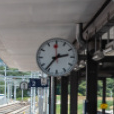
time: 2:36
